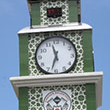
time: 11:32
